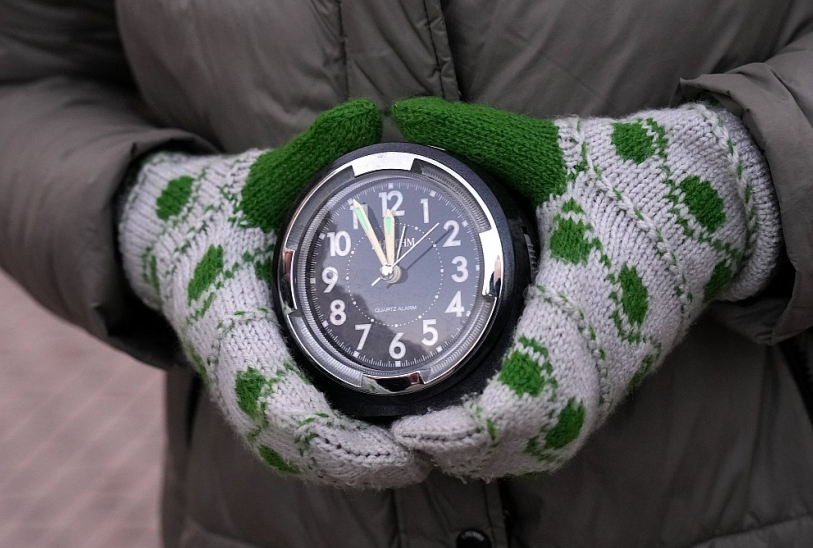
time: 11:55
